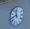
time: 11:42
